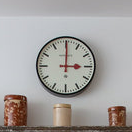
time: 3:00
